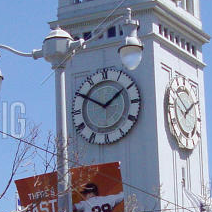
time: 1:50
